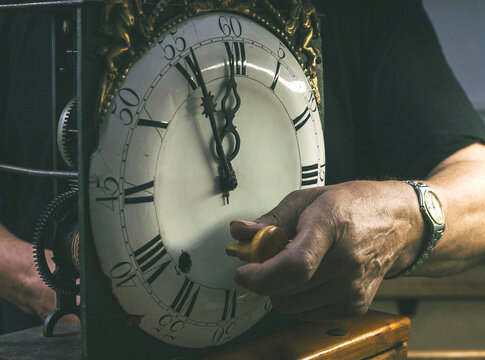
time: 11:56
